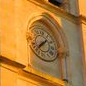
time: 7:37
